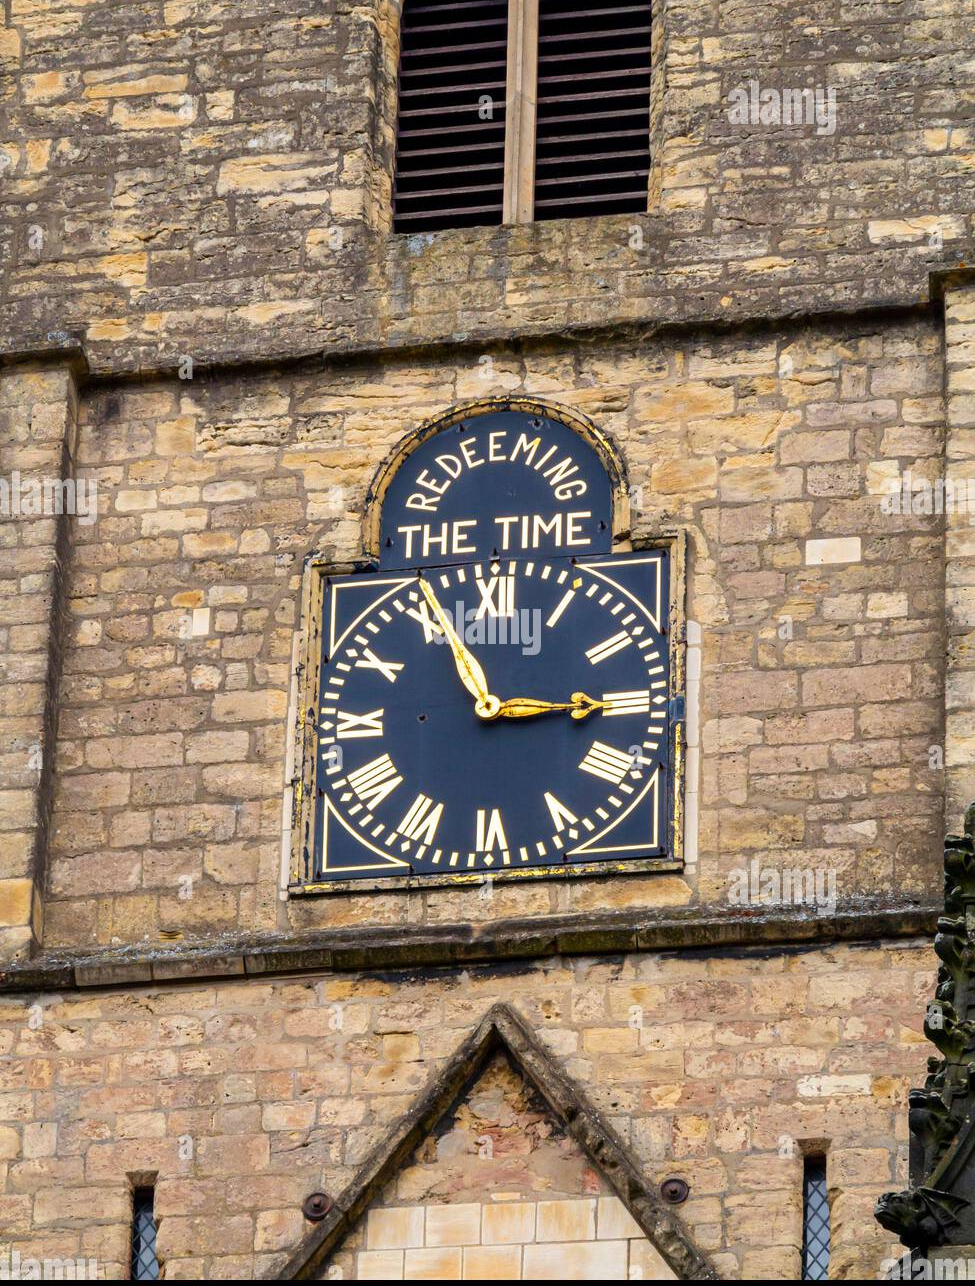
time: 2:56
